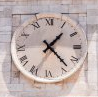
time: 1:23
